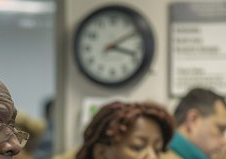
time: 3:09
